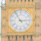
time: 2:54
